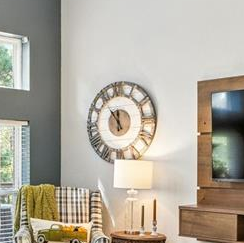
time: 11:54
